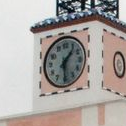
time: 1:29
